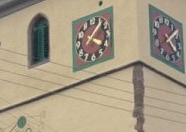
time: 4:07
